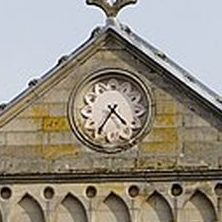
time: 4:35
